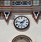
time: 1:47
